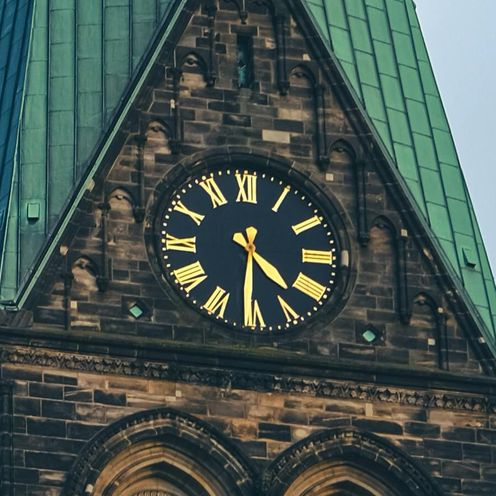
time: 4:31
